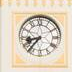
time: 8:36
